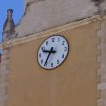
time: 9:35
